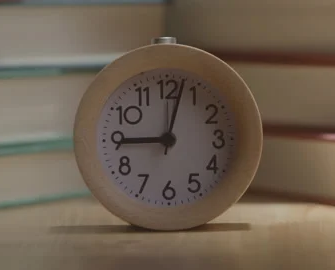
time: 9:02
